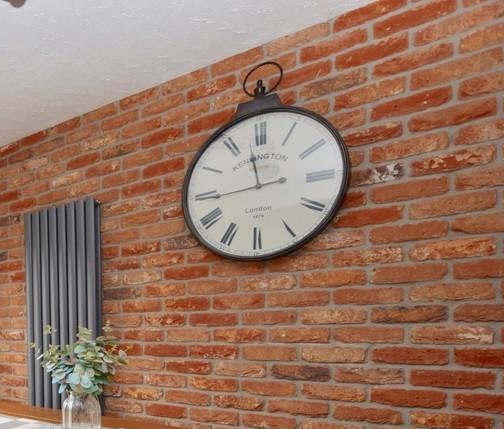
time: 11:43
